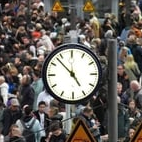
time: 4:52
